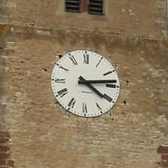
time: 4:13
